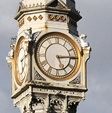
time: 5:14
